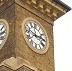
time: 2:46
